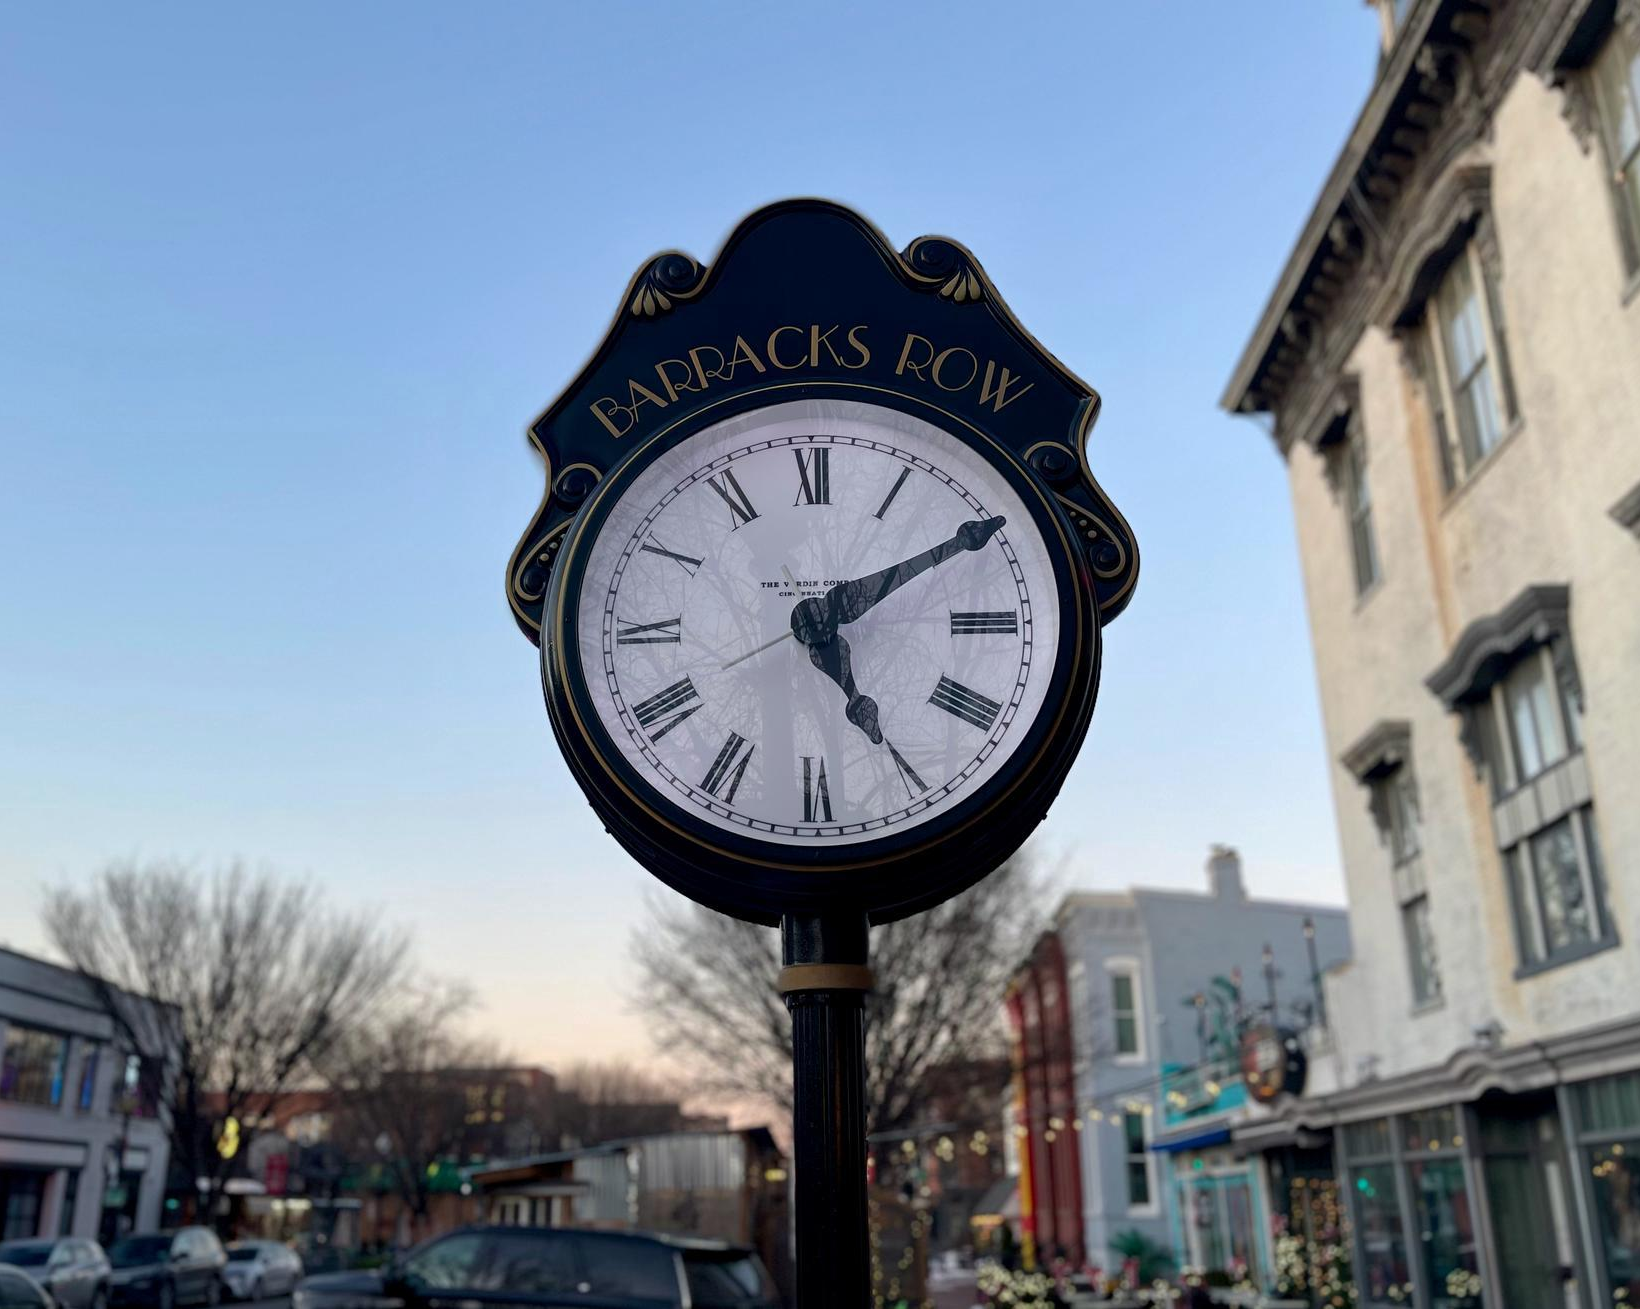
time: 5:09
